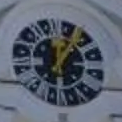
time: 12:04
